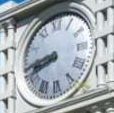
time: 8:41
